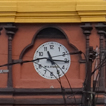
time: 11:15
